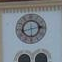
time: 2:42
